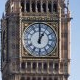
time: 1:00
